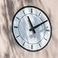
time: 11:10
